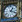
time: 1:18
